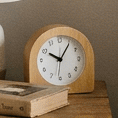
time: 10:05
